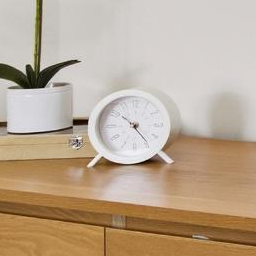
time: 10:23
